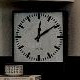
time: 12:09
